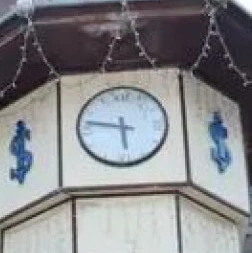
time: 5:47
